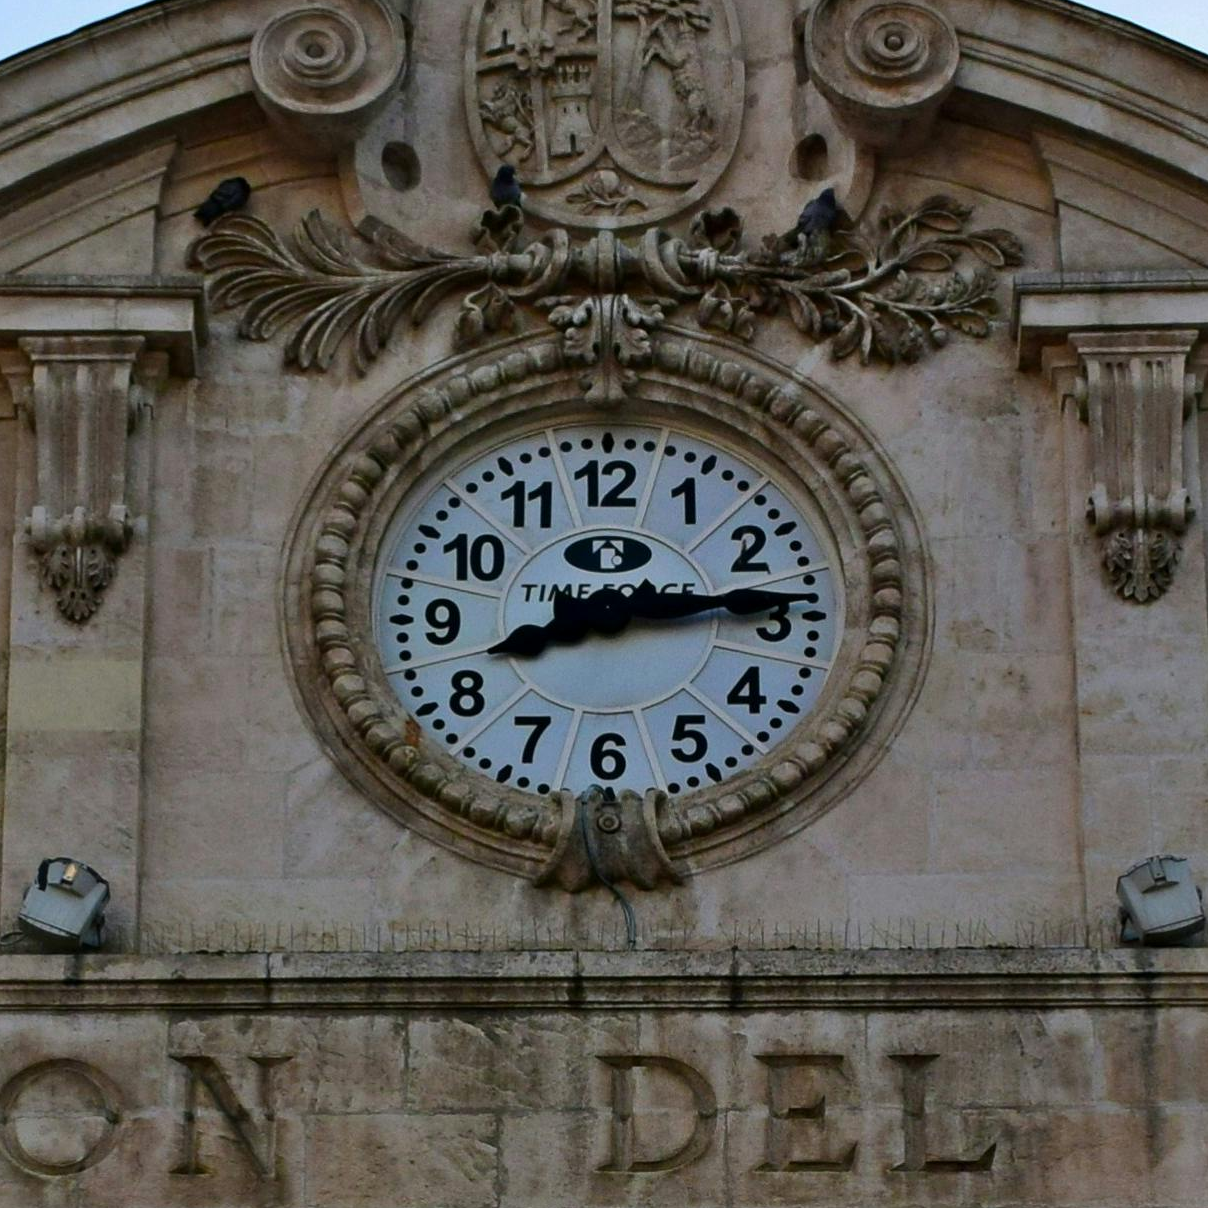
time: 8:14
